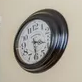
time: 3:29
